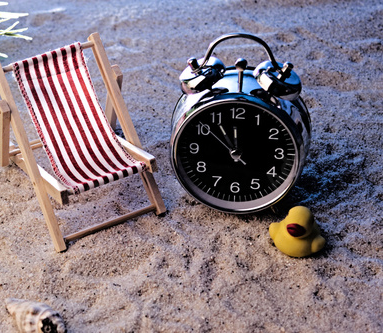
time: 11:52
